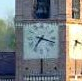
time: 7:17
